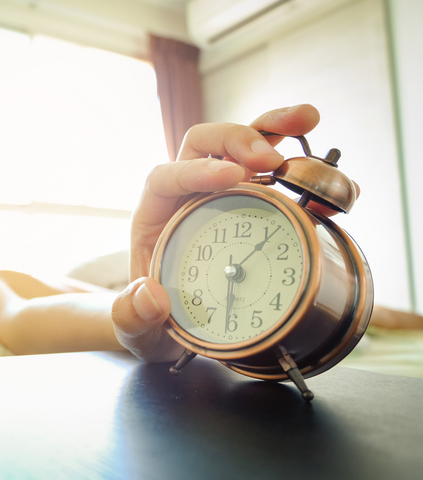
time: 6:06
